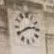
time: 2:40
